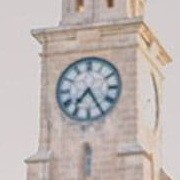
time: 7:24
